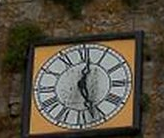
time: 12:26
